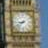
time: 8:38
